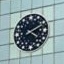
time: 4:10
